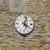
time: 4:02
